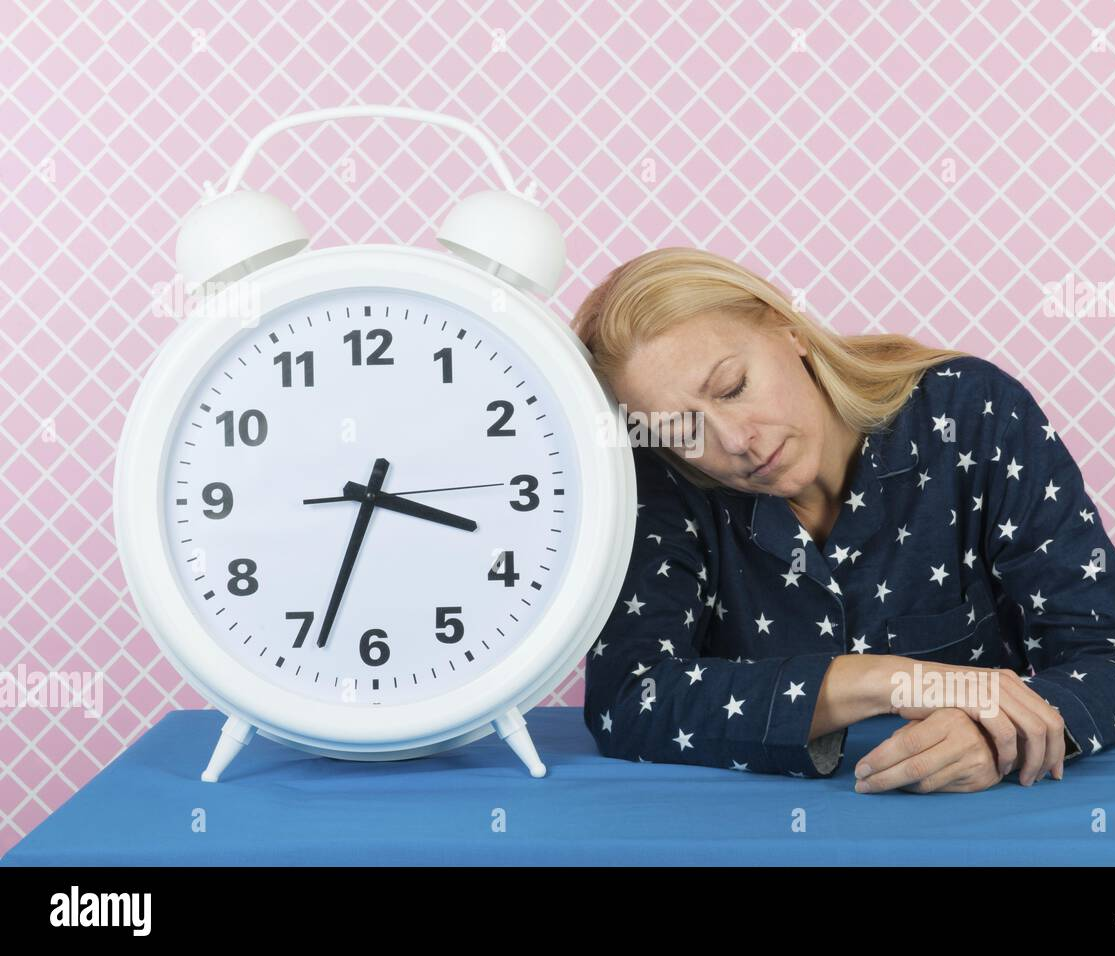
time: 3:33
